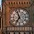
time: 6:57
